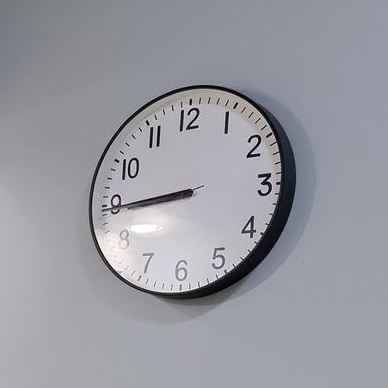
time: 8:44
